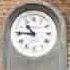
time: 10:45
